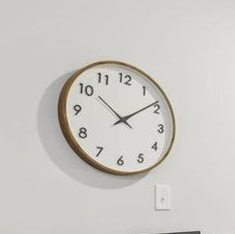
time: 10:08
